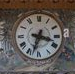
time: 3:33
